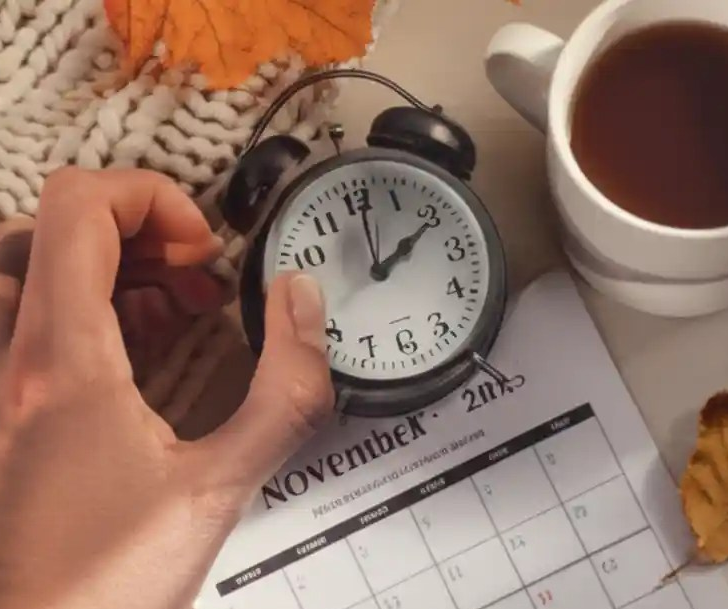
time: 2:01
